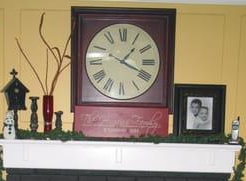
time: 1:19
